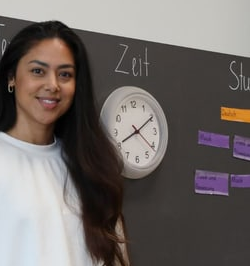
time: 8:10
